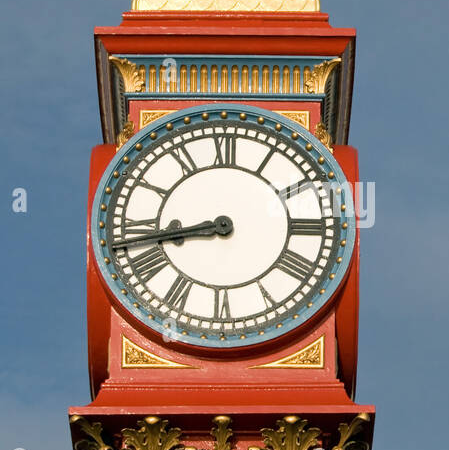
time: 8:42
